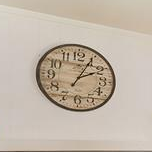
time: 2:04
